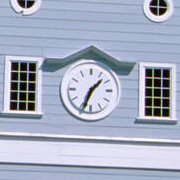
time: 1:33
